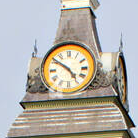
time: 4:50
